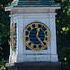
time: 12:23
